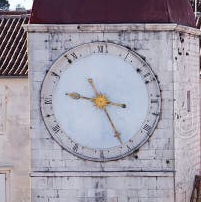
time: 3:25
